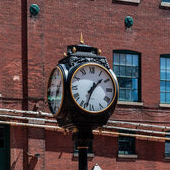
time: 1:33
